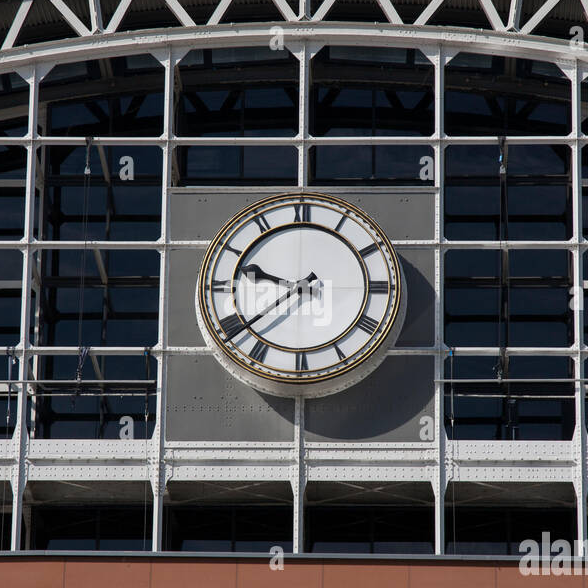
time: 9:38
